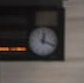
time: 12:18
